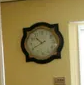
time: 10:41
